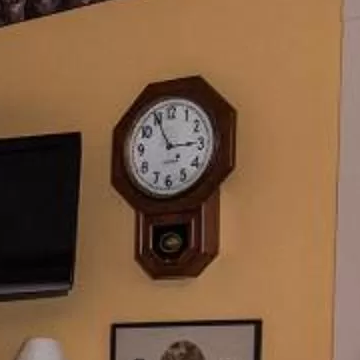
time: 2:56
